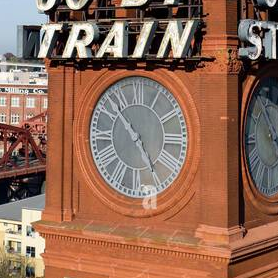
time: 4:52
